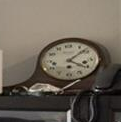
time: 4:08
